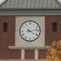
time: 4:13
